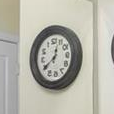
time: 12:39
